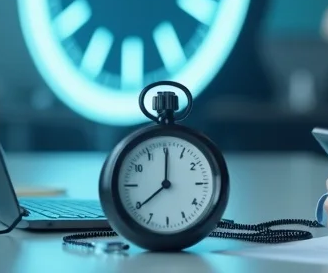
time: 8:00
